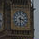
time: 3:30
